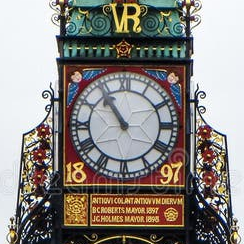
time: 10:53
